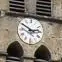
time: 2:50
